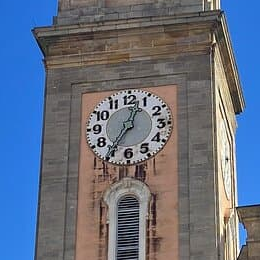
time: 12:35
